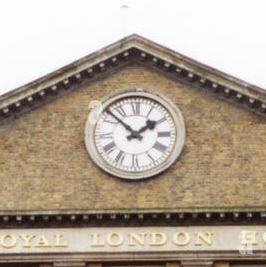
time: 1:52
